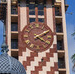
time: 4:09
